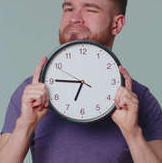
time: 6:45
